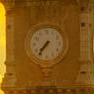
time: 7:36
